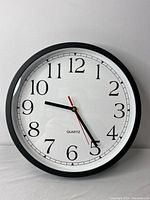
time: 9:24
